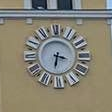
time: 3:32
